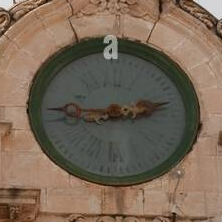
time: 2:45
